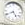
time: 4:40
